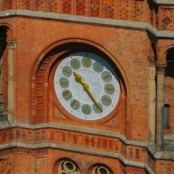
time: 10:24
